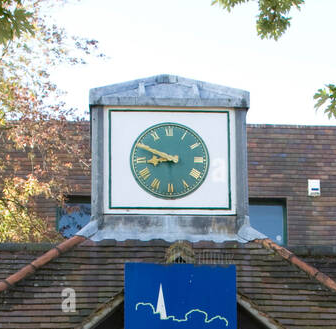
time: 8:49
